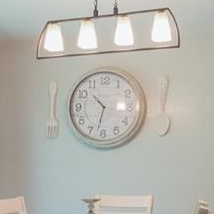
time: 10:32
